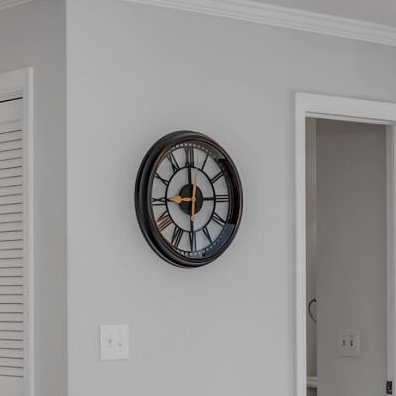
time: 5:59
